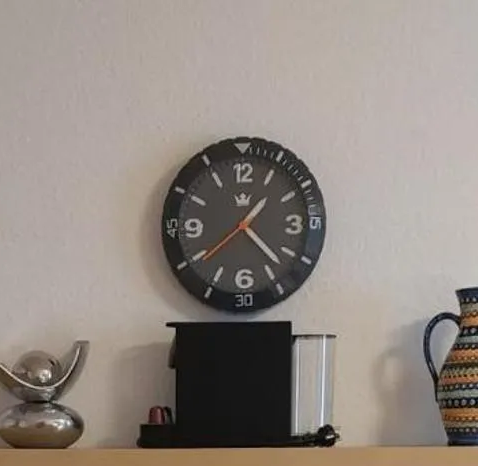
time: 1:22
